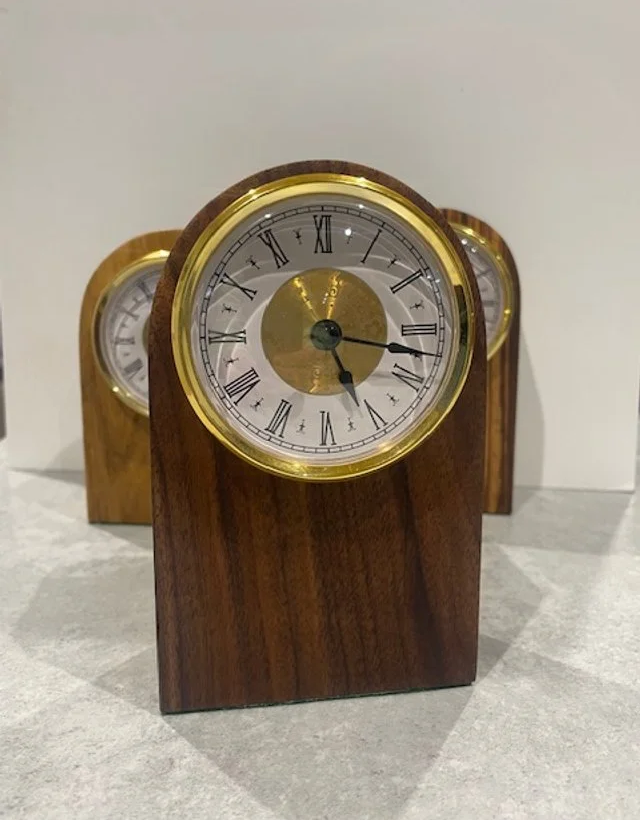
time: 5:17
